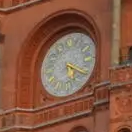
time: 5:19
